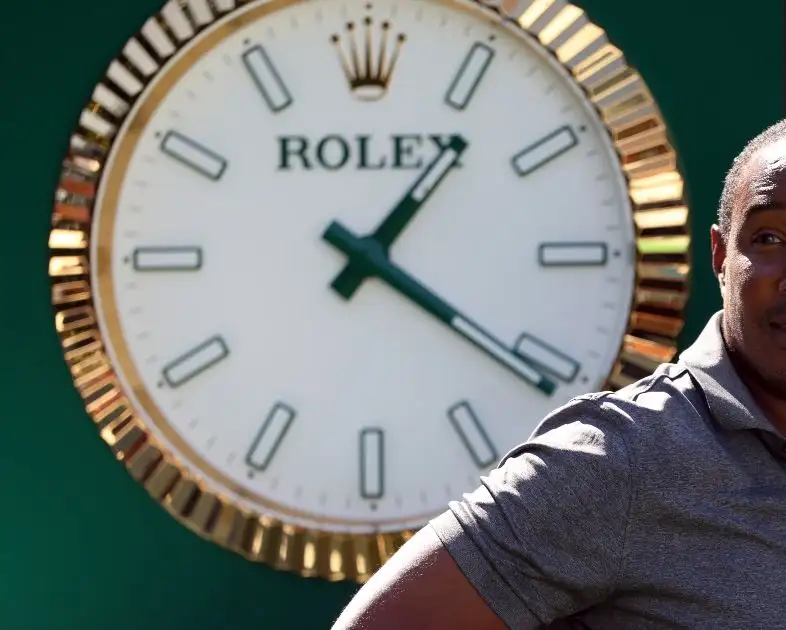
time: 1:21
